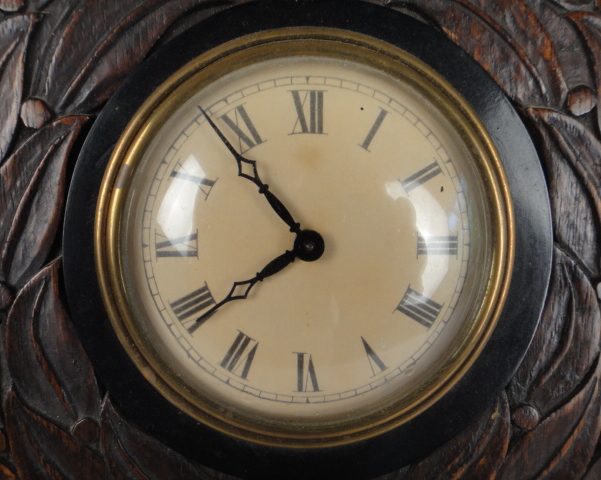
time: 7:53
